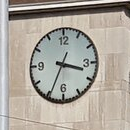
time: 3:34
